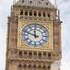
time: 11:48
